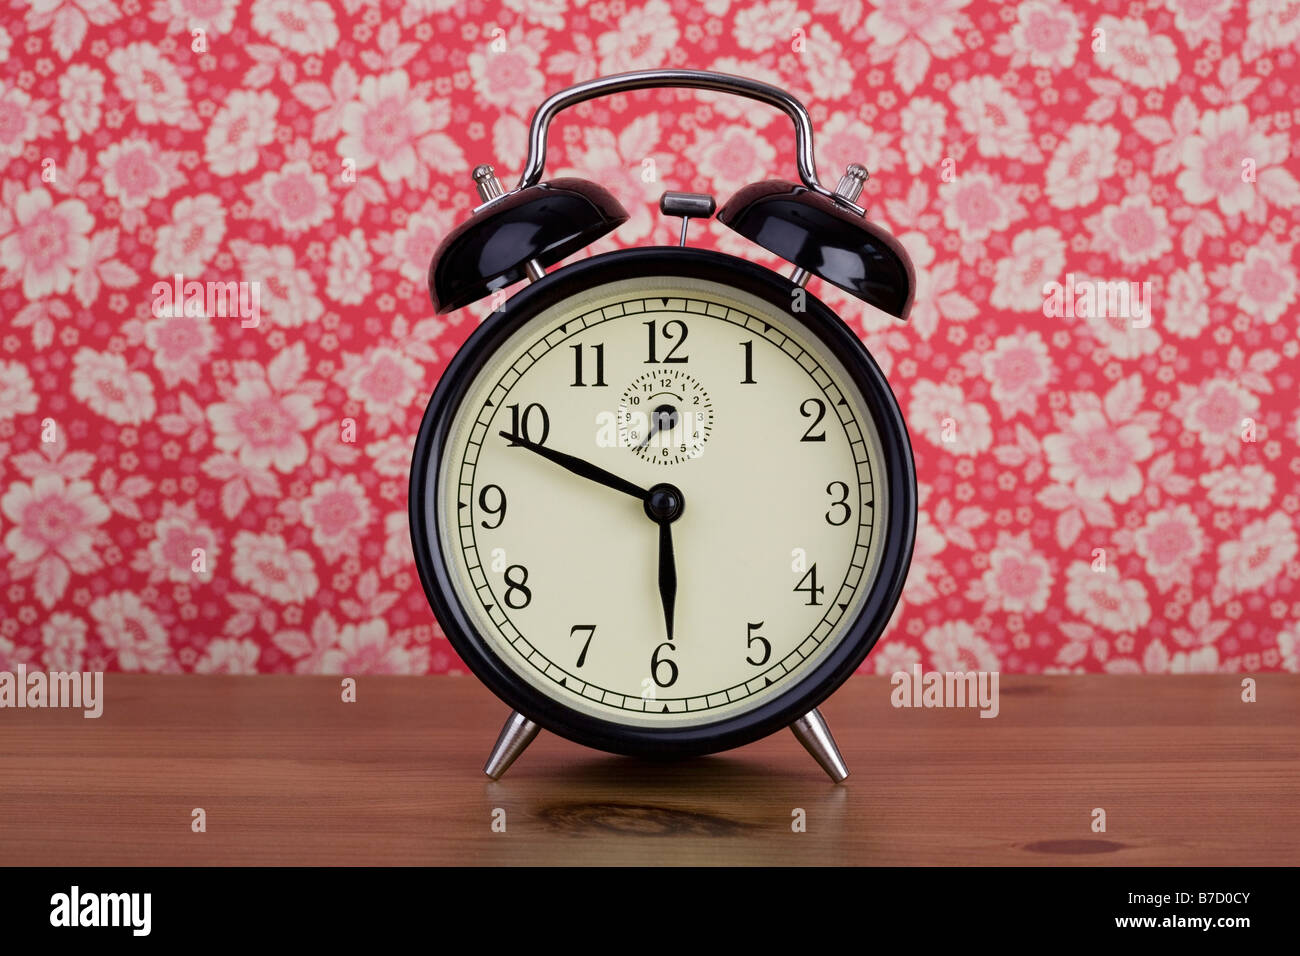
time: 5:49
